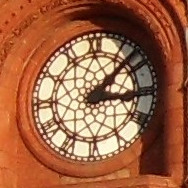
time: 3:07
